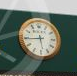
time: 5:44
